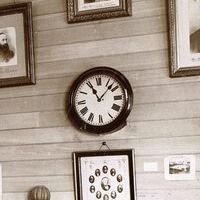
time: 11:07
